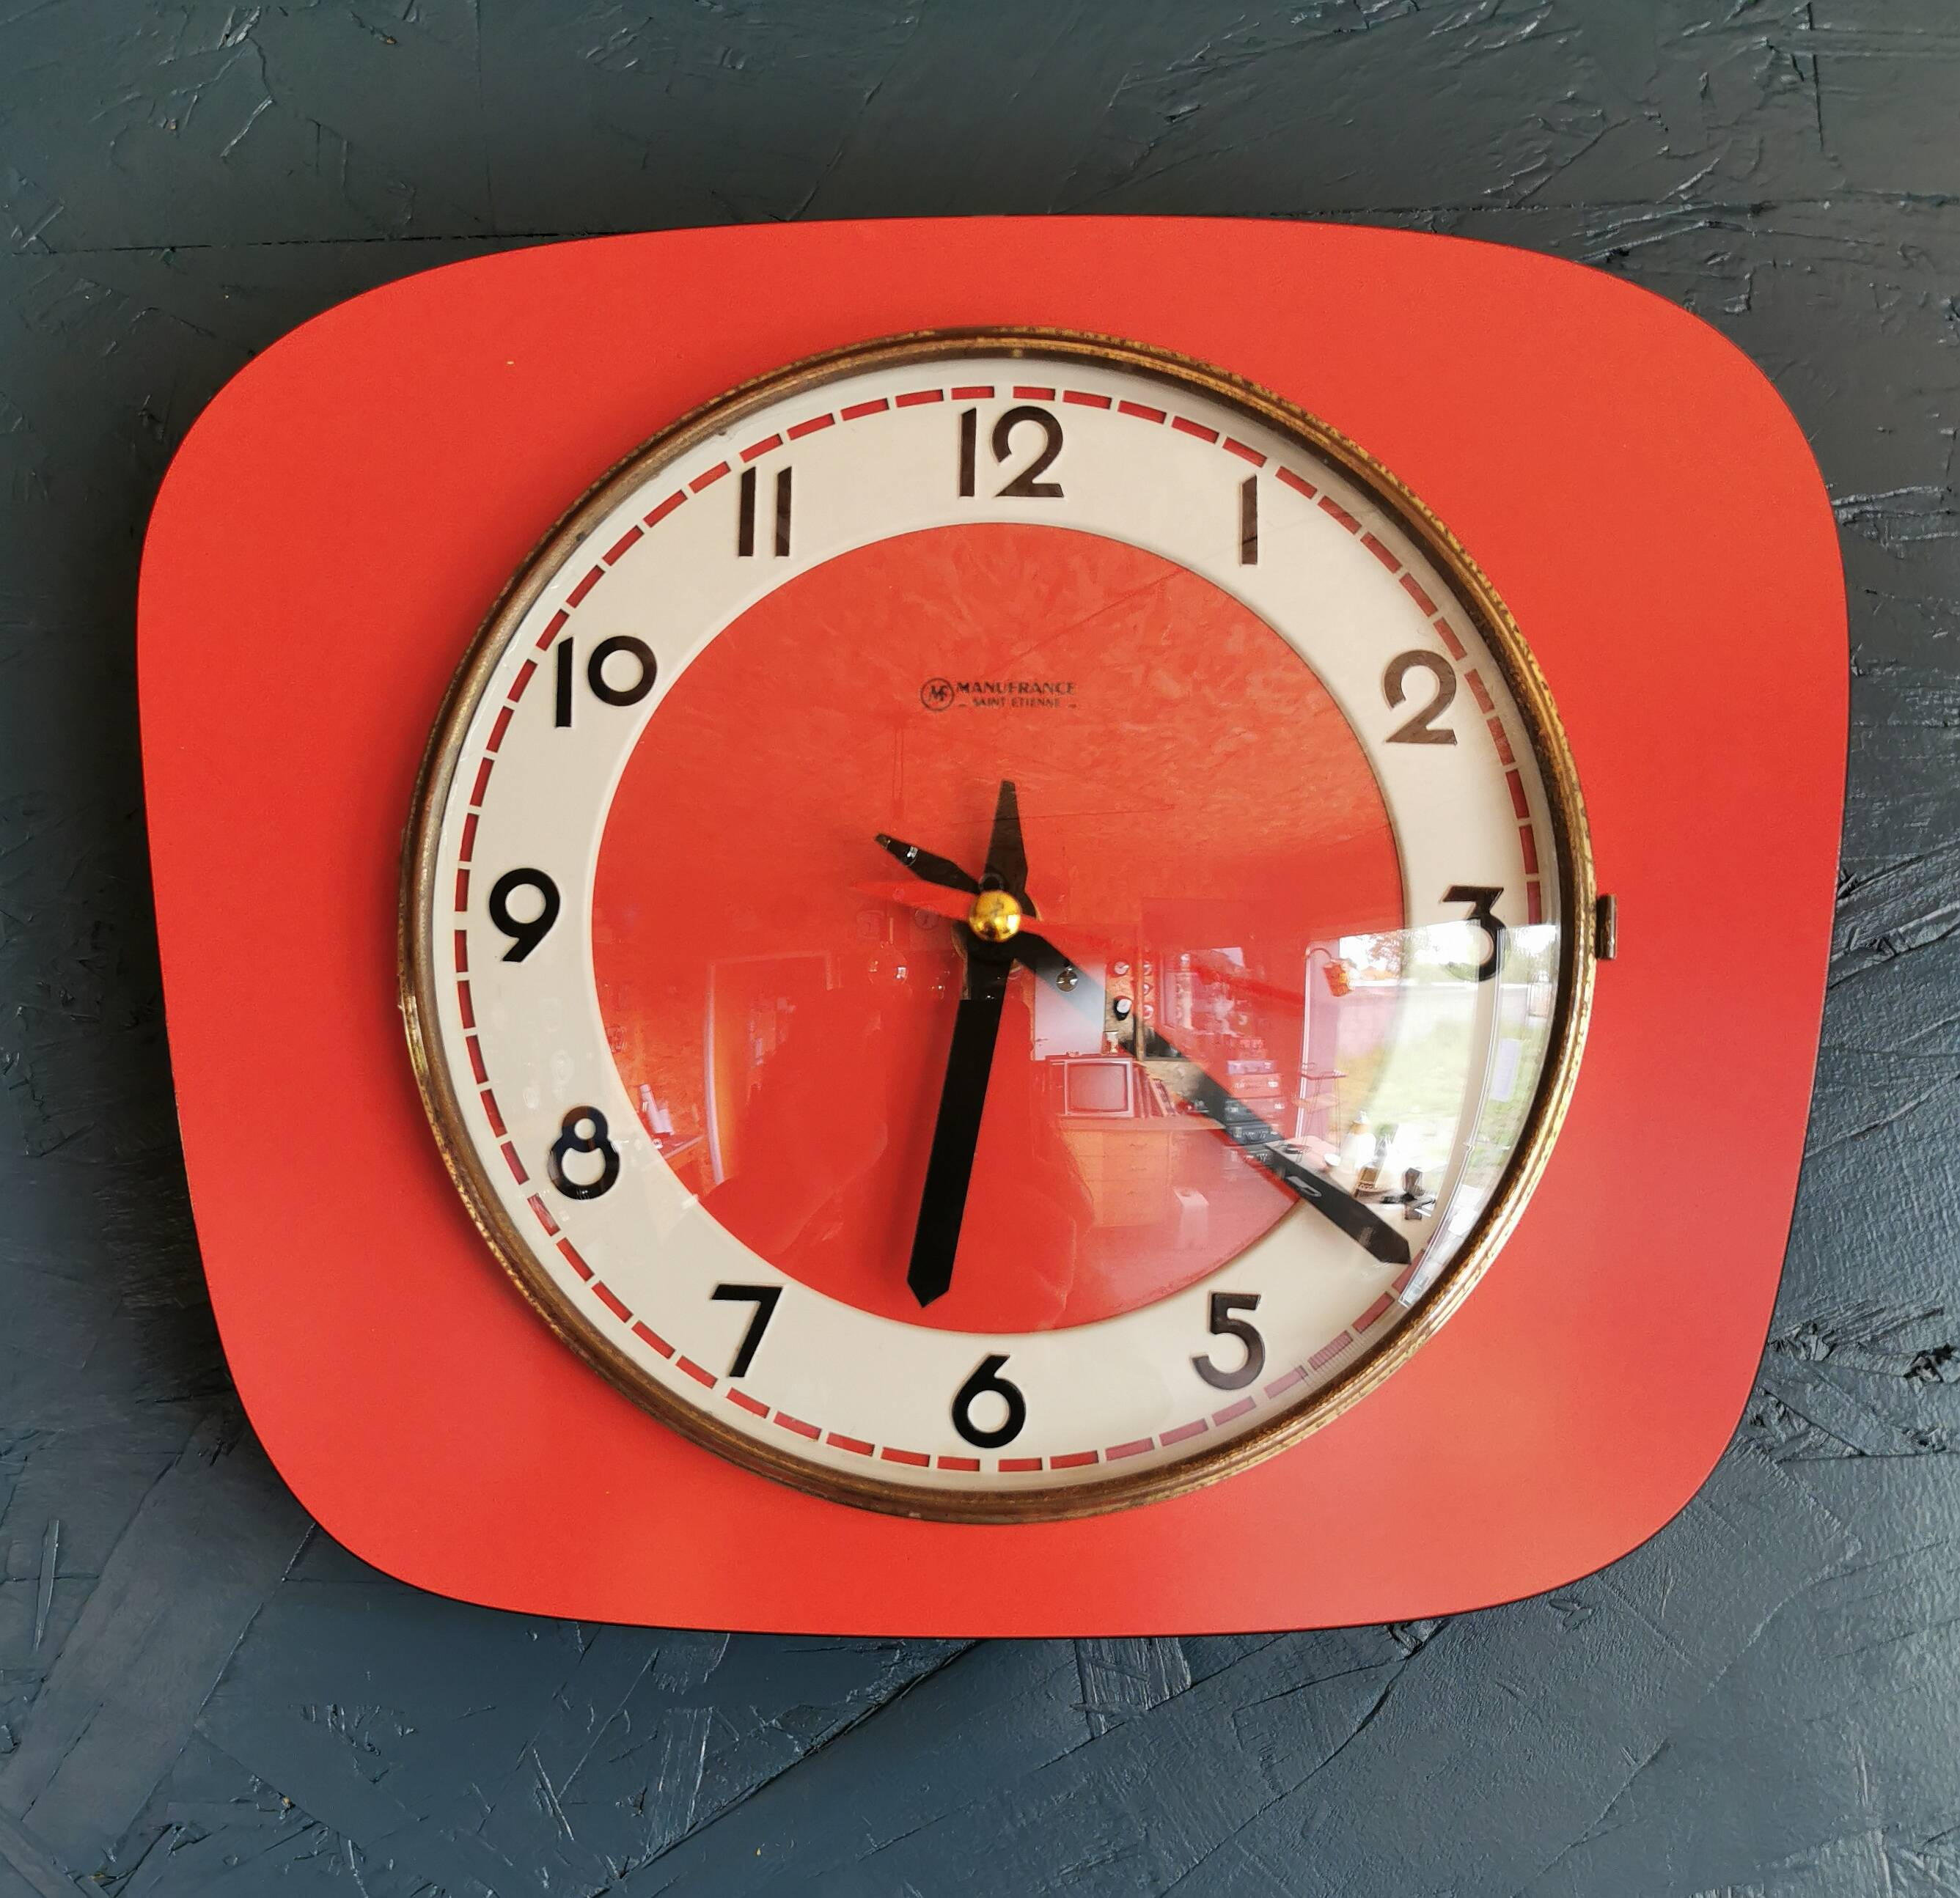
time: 6:21
